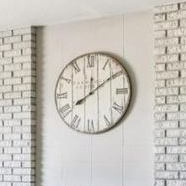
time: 12:08
